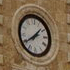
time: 1:39
